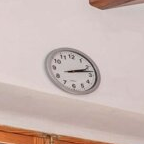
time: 2:12
